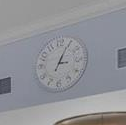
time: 3:04
